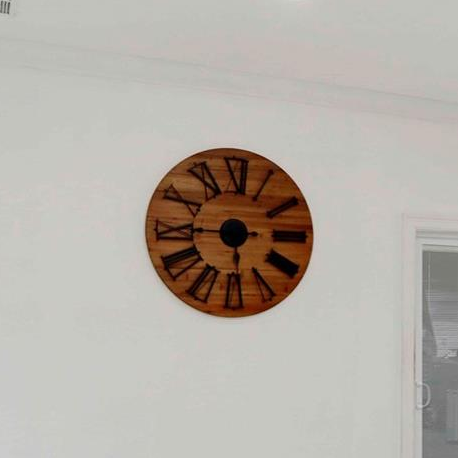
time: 5:45
